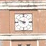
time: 9:48
